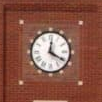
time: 12:20
